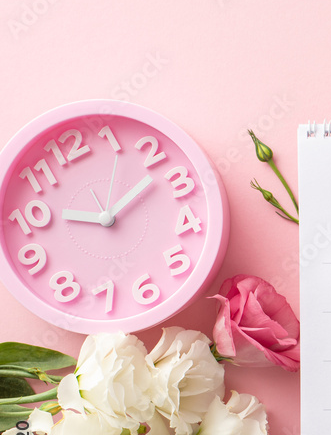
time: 10:12
